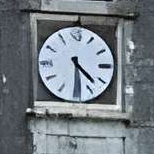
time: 4:30
